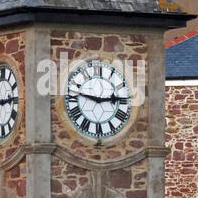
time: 2:46
